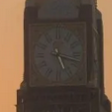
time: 5:17
